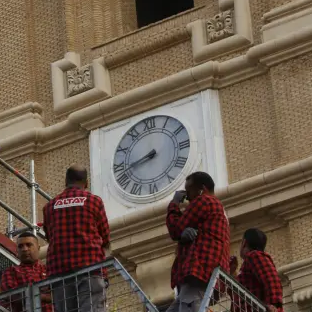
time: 8:42
